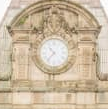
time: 10:36
